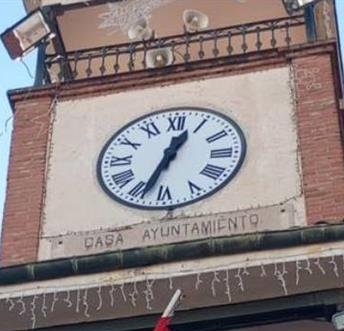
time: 12:33
